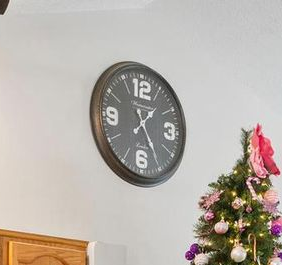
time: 1:24
